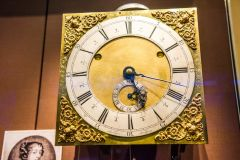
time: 5:18
